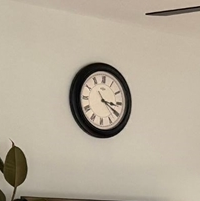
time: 3:20
